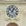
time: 12:52
